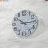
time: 10:15
